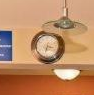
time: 3:32
